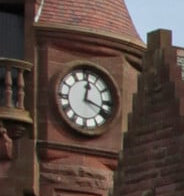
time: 12:18
